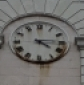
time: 4:14
